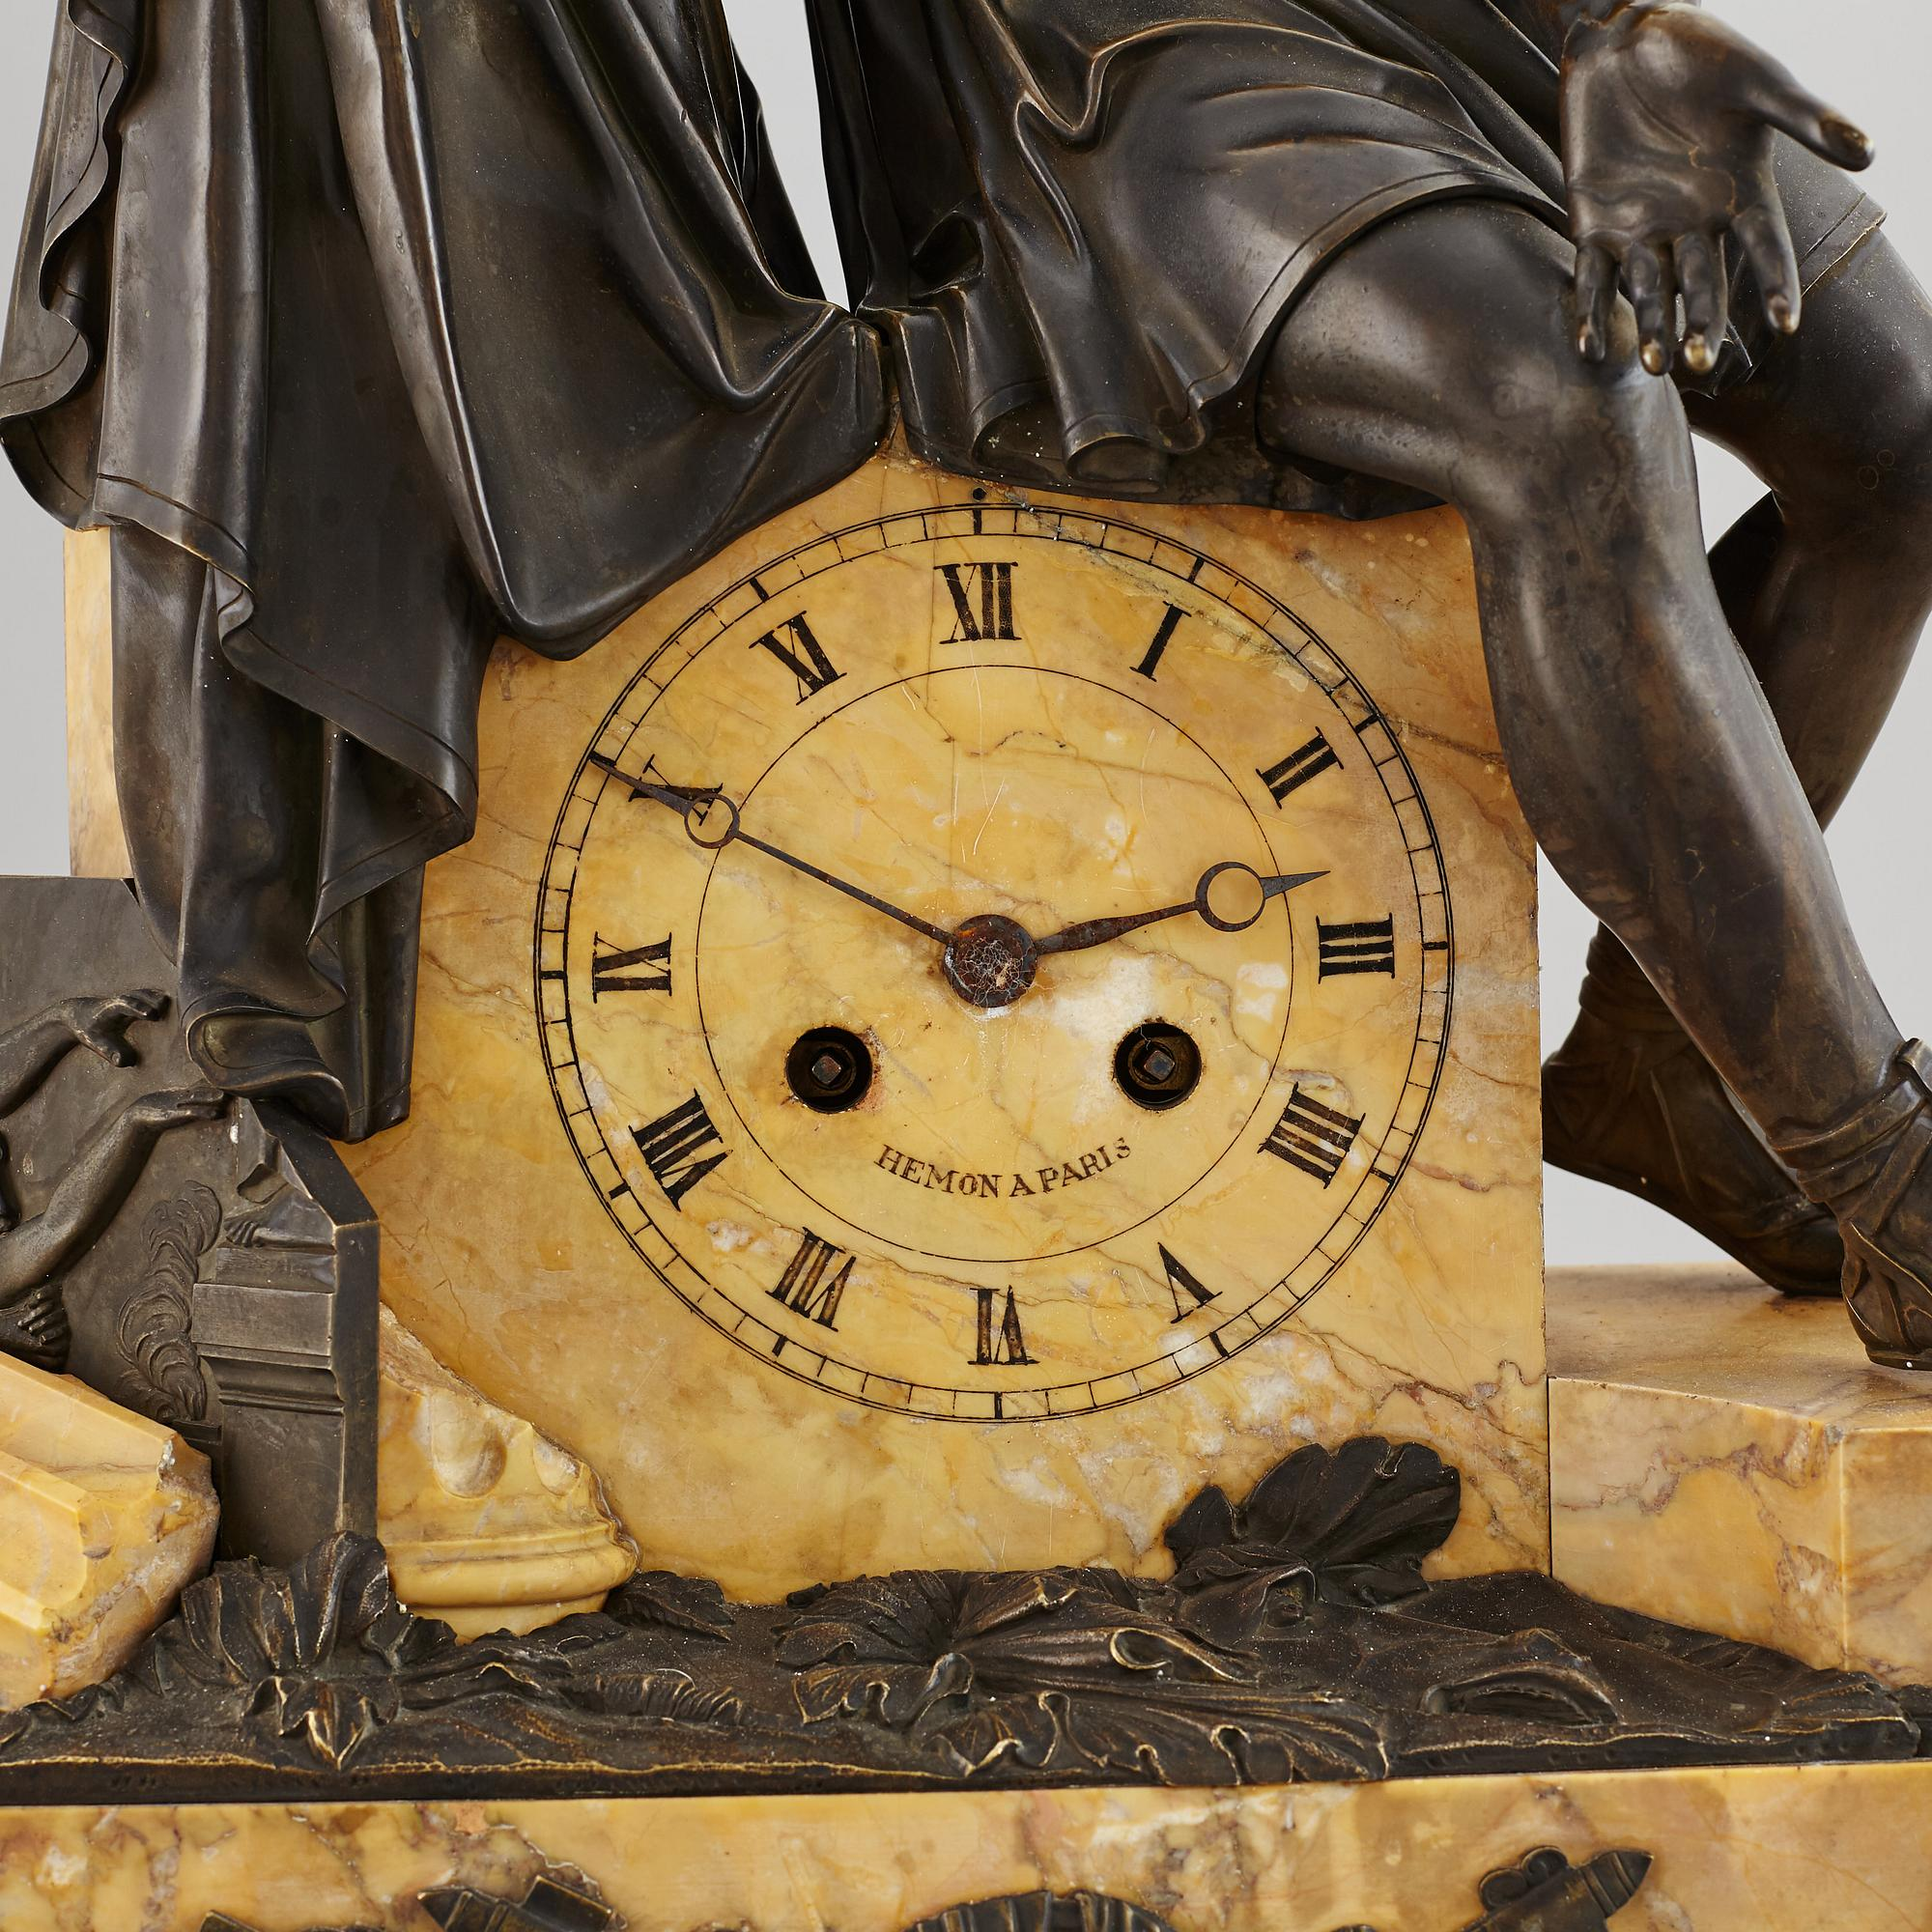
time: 2:49
